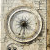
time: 8:33
